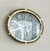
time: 5:49
